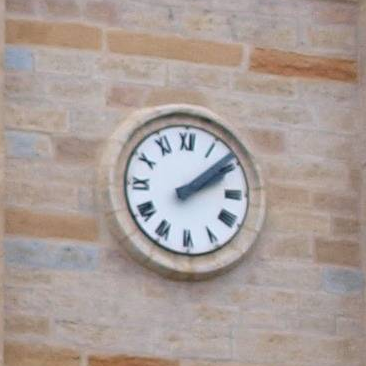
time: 2:08
